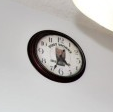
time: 4:33
